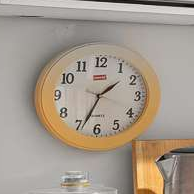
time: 1:33
